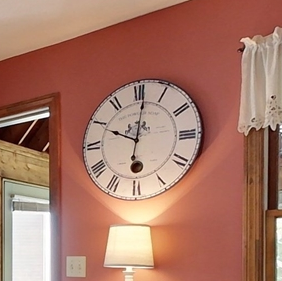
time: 10:01
